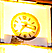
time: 7:17
